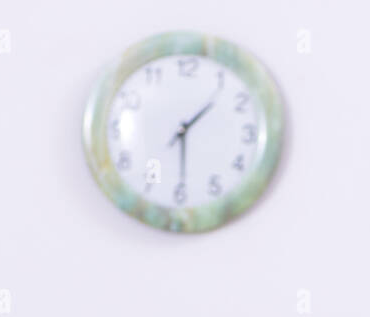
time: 1:29
